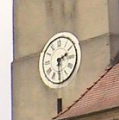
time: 2:29
